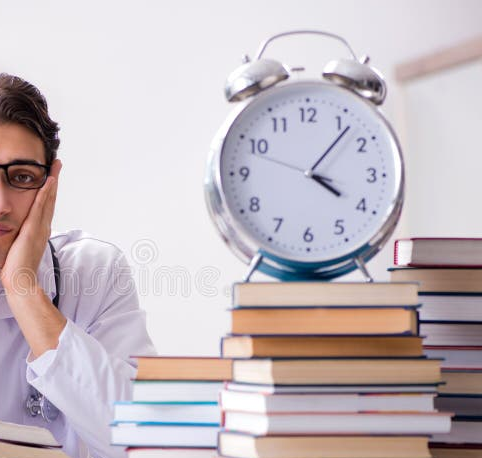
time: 4:06
